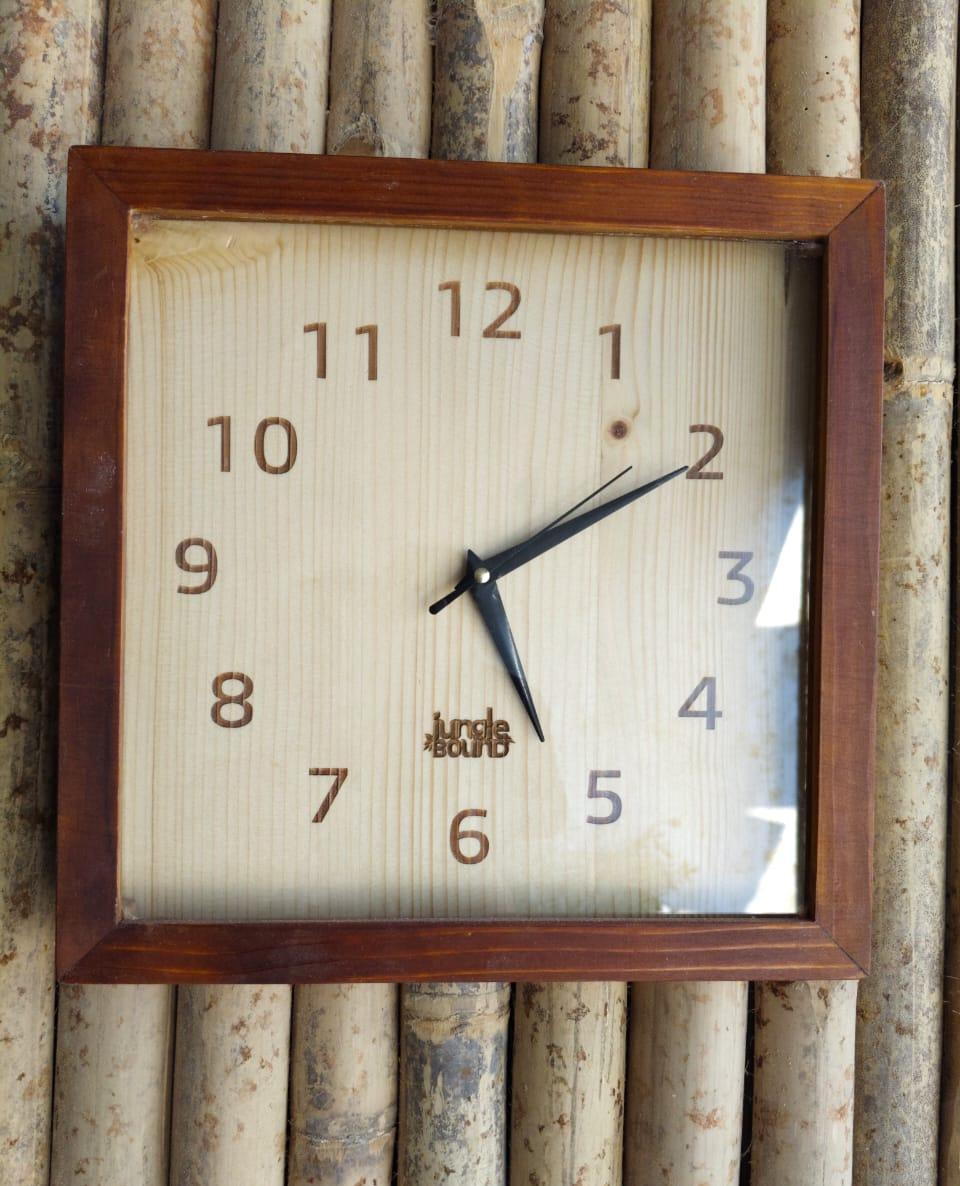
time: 5:10
